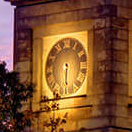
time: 6:30
